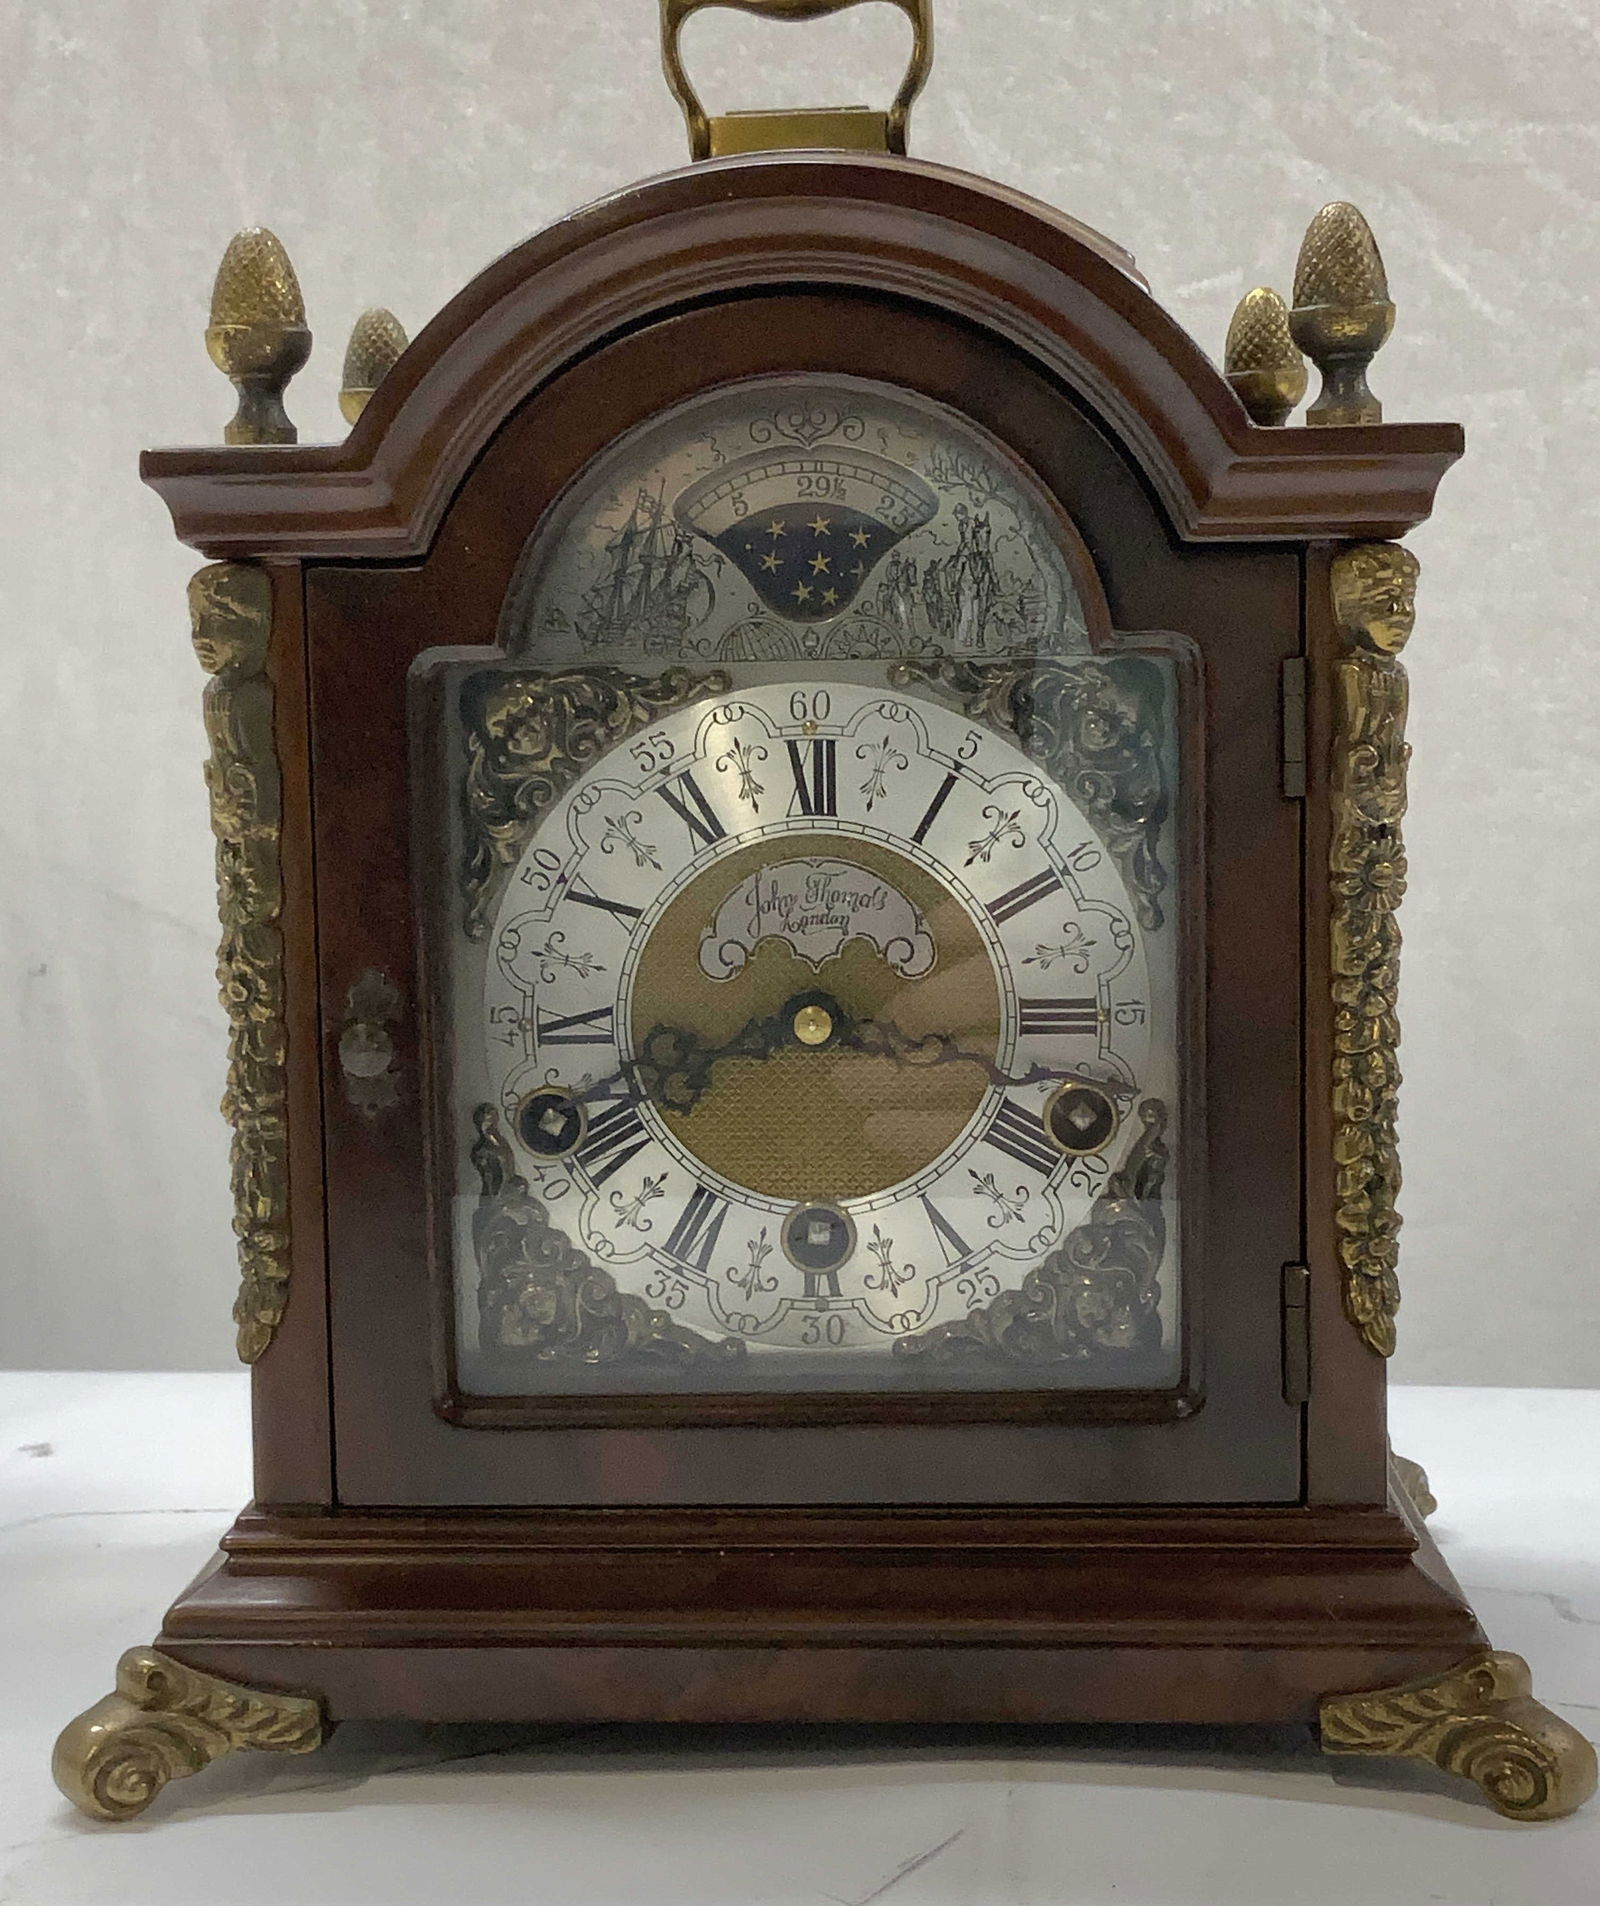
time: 8:16
